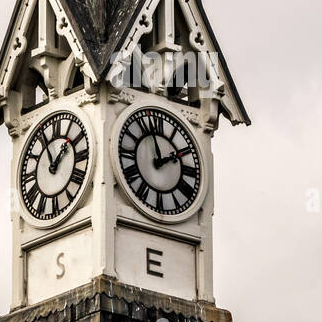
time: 1:57
